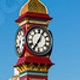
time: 7:04
